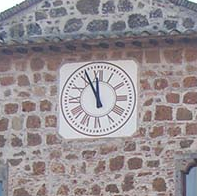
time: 11:55
